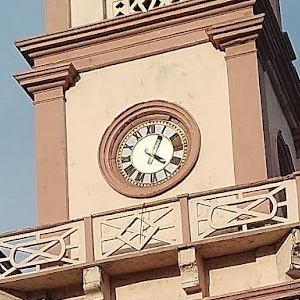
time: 4:04
